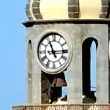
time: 11:14
